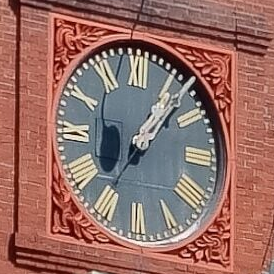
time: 1:07
